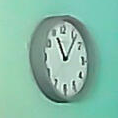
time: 11:06
